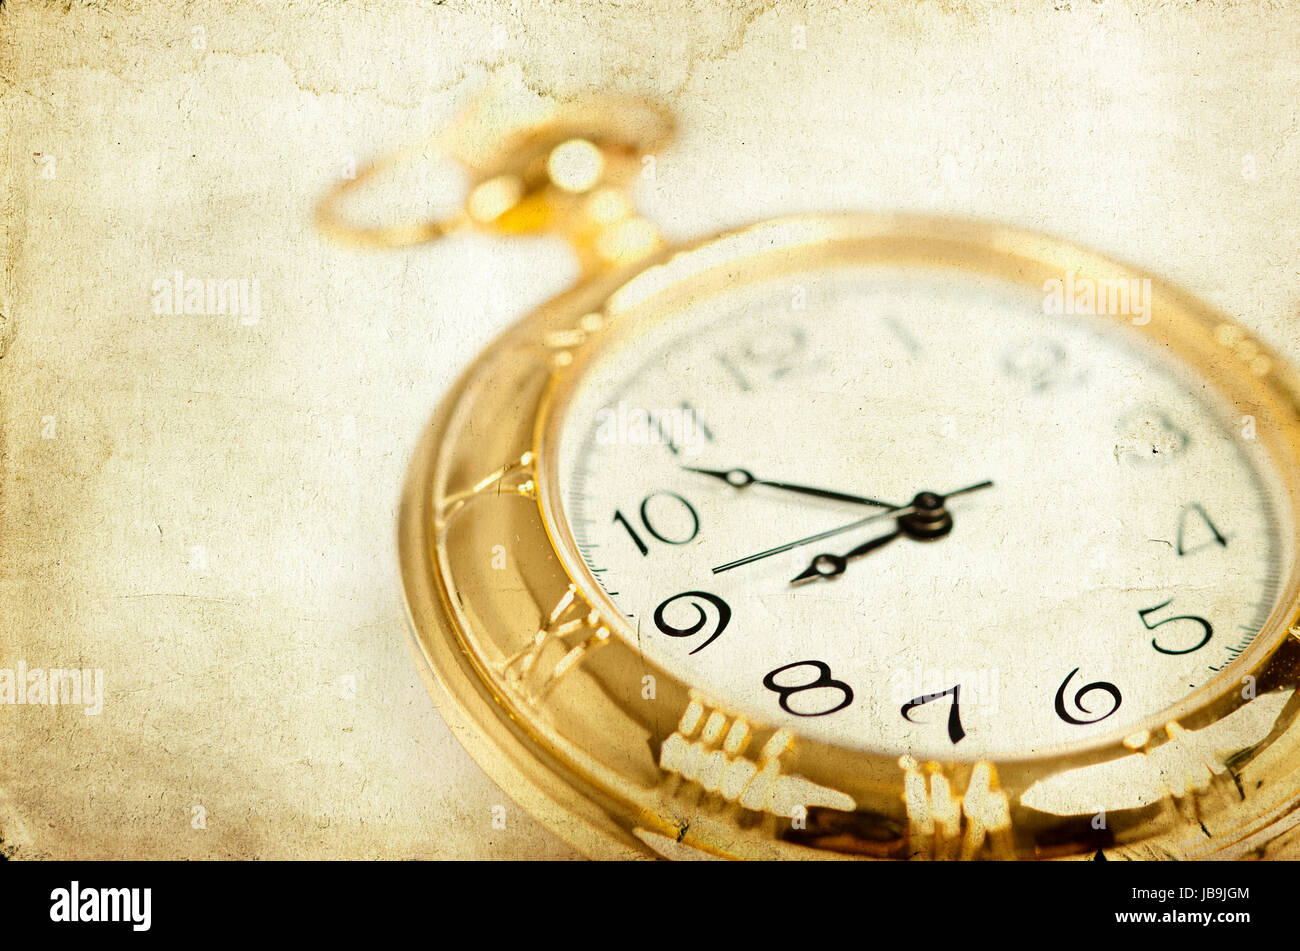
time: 7:48
